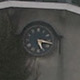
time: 5:16
